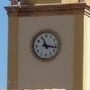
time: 11:16
